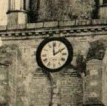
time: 1:59
